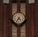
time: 4:35
